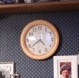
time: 4:38
